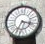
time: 3:33
